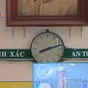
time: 8:12
